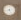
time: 4:42
